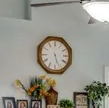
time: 5:26
